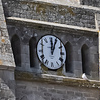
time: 12:04
